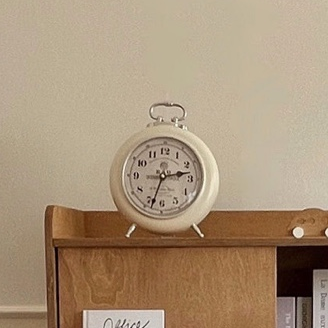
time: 2:33
